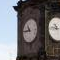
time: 10:45
